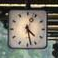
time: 4:28
